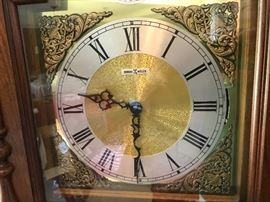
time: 9:30
